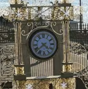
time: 4:38
